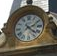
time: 2:22
